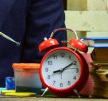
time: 8:09
